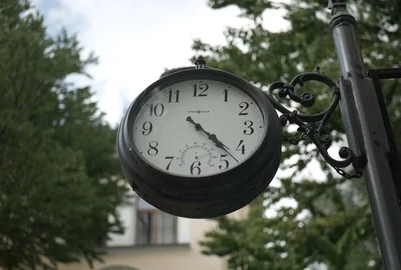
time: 4:22
